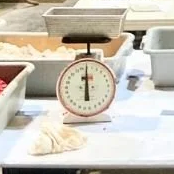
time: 6:00
